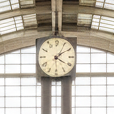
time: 4:09
